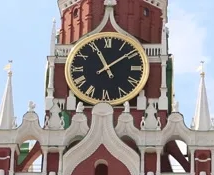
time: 11:08
